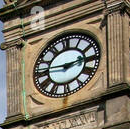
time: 2:45
